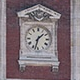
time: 1:32
